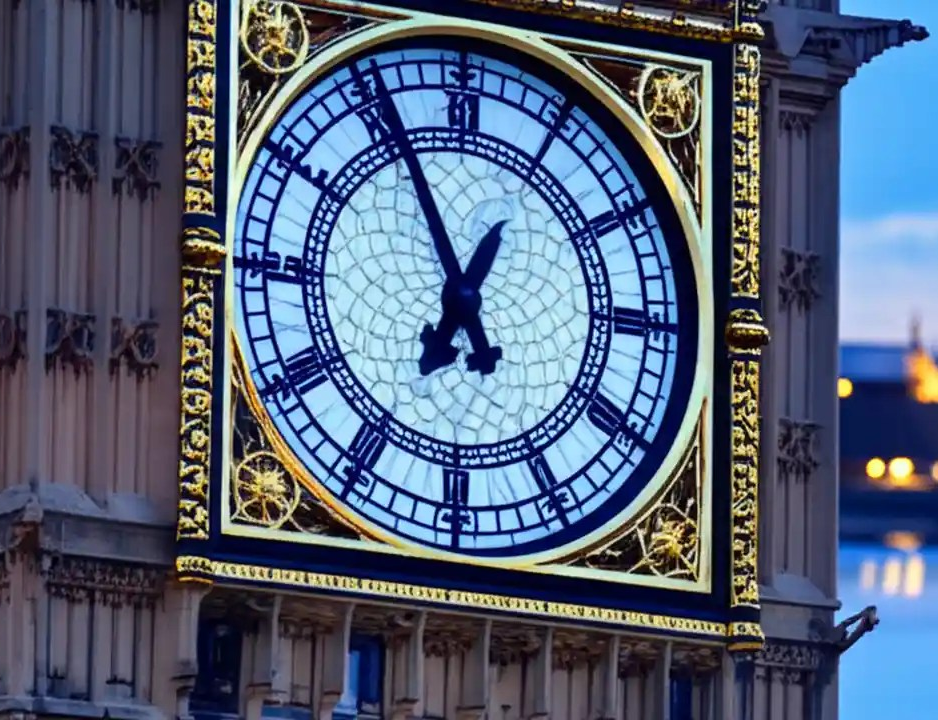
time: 6:55
